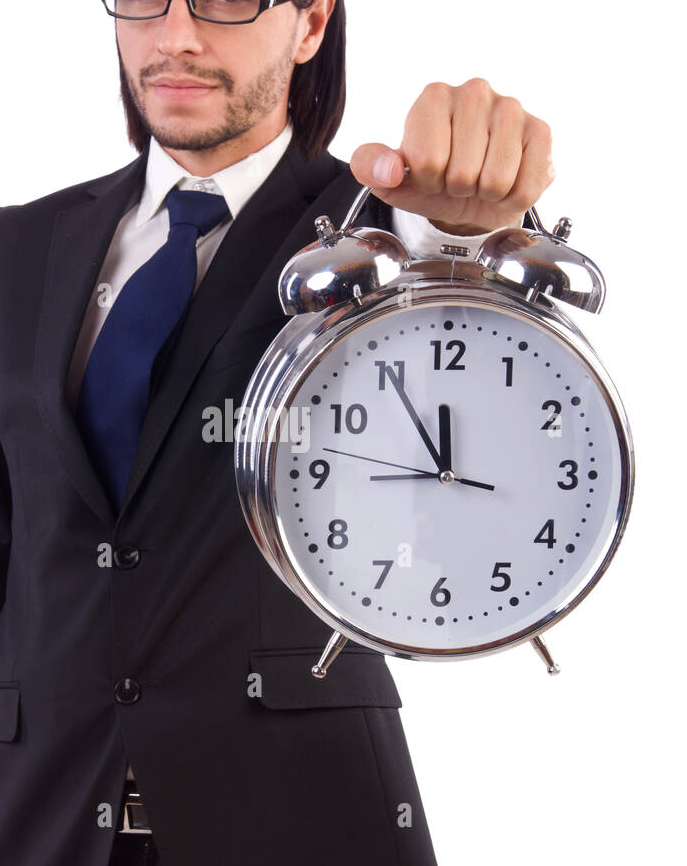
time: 11:55
